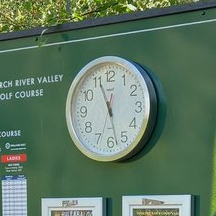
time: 11:56
